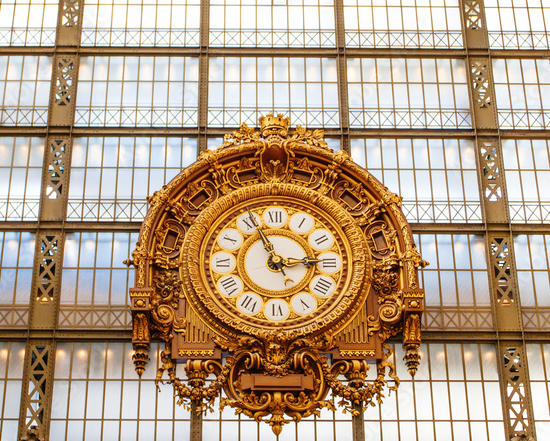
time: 2:56
